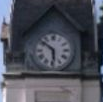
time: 5:51
